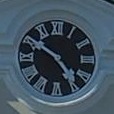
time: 4:50
